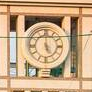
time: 4:59
